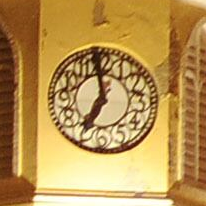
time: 6:58
